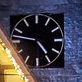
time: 4:46
